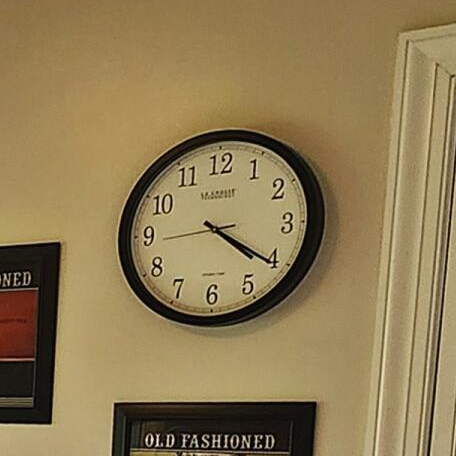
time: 4:20
